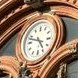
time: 4:48
